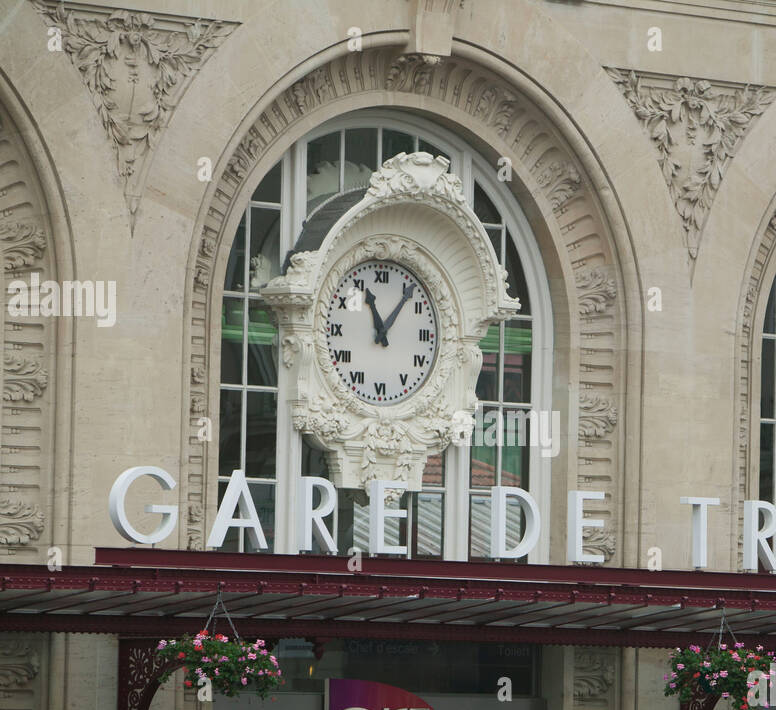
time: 11:07
